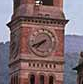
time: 7:40
